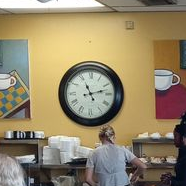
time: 11:12
